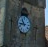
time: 10:45
